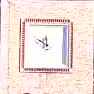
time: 11:50
